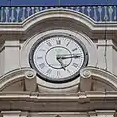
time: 5:14
